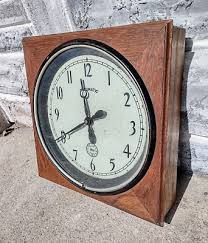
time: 11:40
